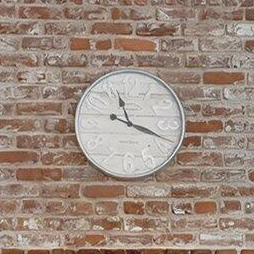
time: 11:18
